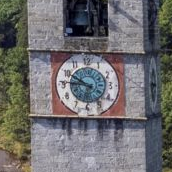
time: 9:45
